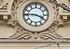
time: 3:45
